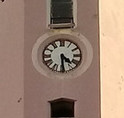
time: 4:29
